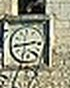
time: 2:44
